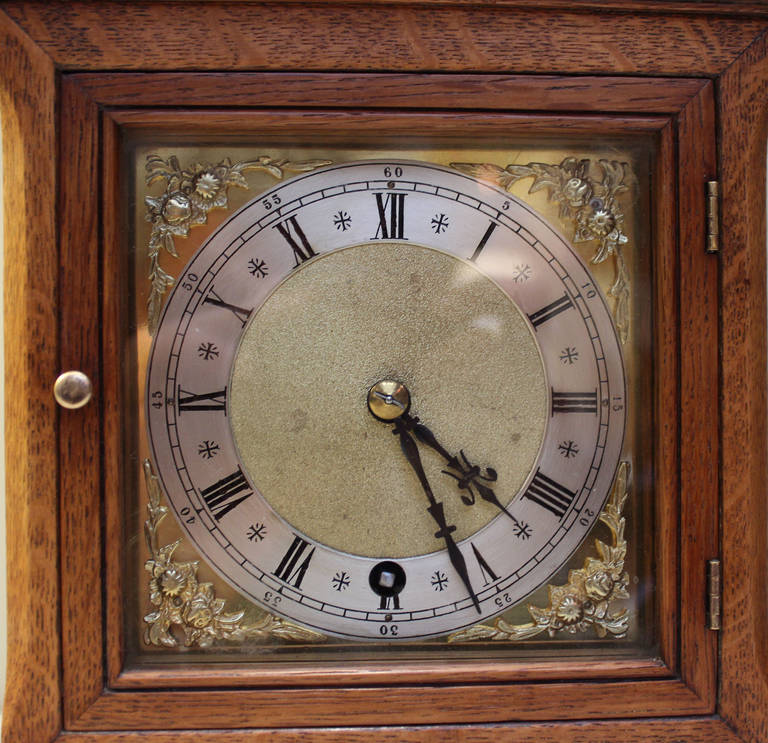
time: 4:26
